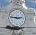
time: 2:46
